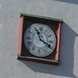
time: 11:18
